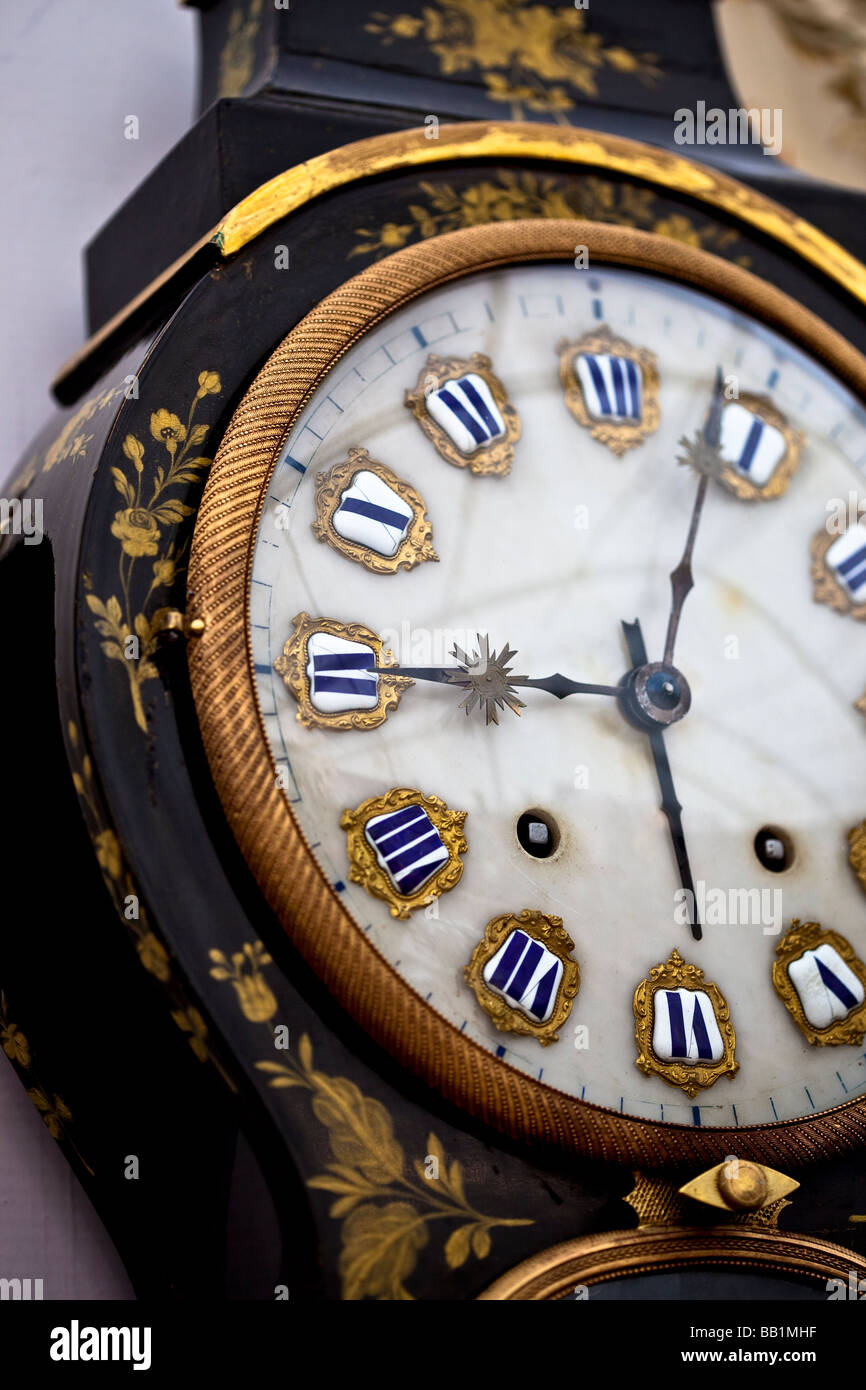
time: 5:45
